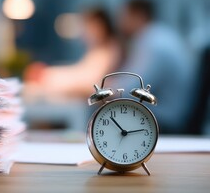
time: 2:53
